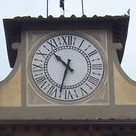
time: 10:32
